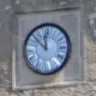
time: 11:52
